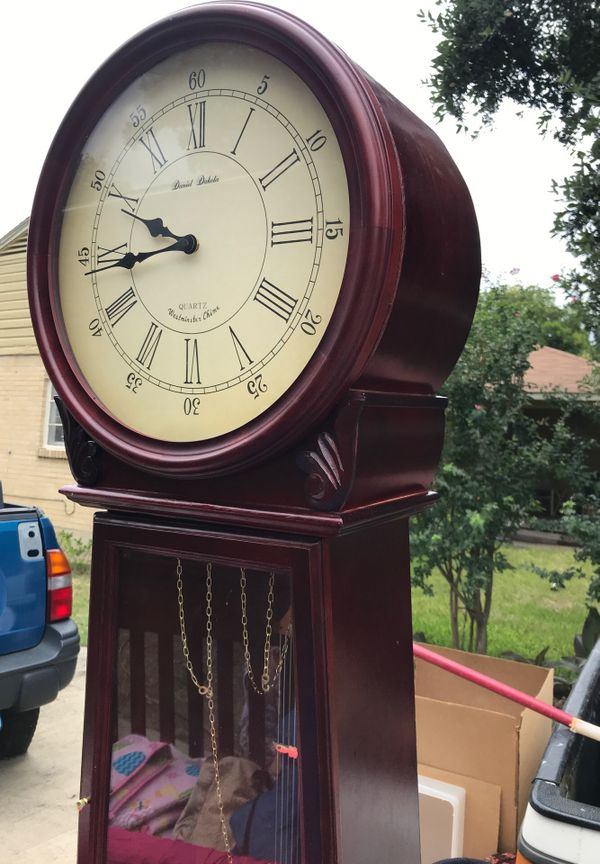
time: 9:44
